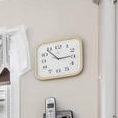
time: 2:53
